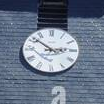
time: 2:51
